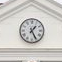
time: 1:25
